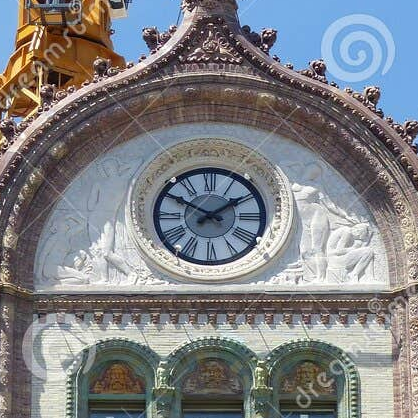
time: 1:50
